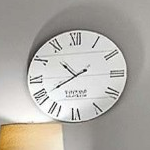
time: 10:39
